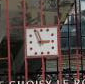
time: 2:56
